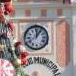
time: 12:05
